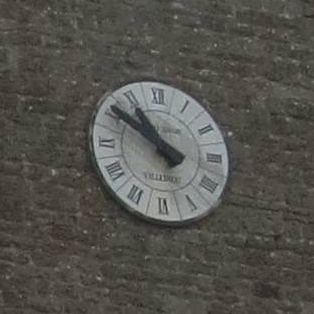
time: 10:50
